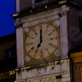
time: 7:00
